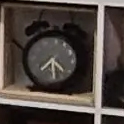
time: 4:28
